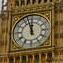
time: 11:57
